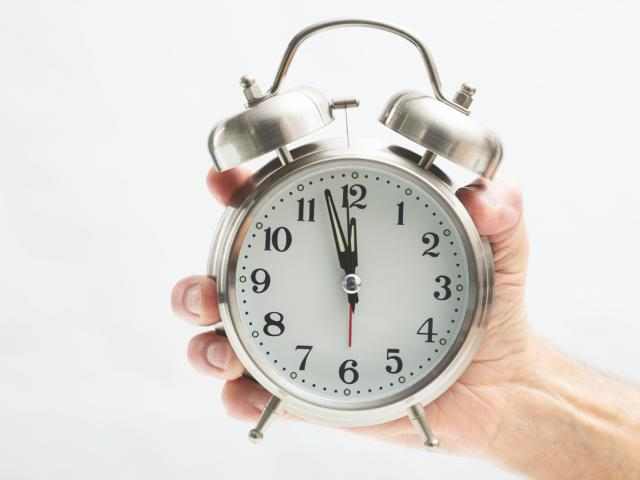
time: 11:57
